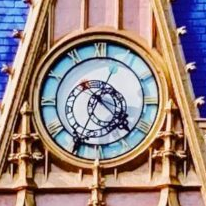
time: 4:34
